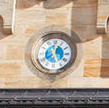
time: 12:26
